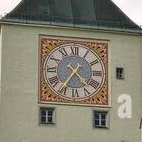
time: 4:35
